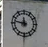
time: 11:46
